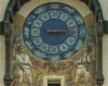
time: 3:14
